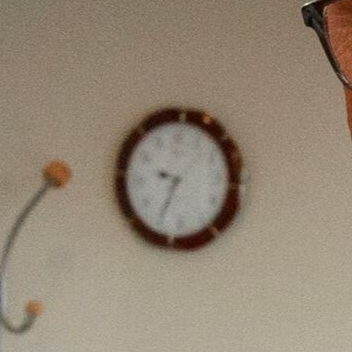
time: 9:34
